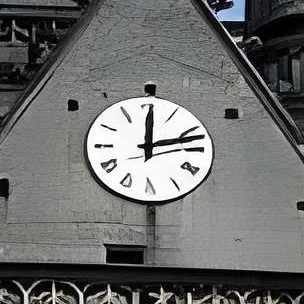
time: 12:12
